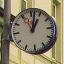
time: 1:01
